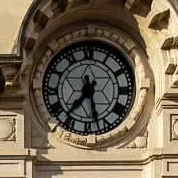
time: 7:27
